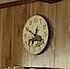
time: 12:49
